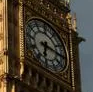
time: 6:15
